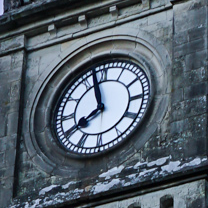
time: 7:57
